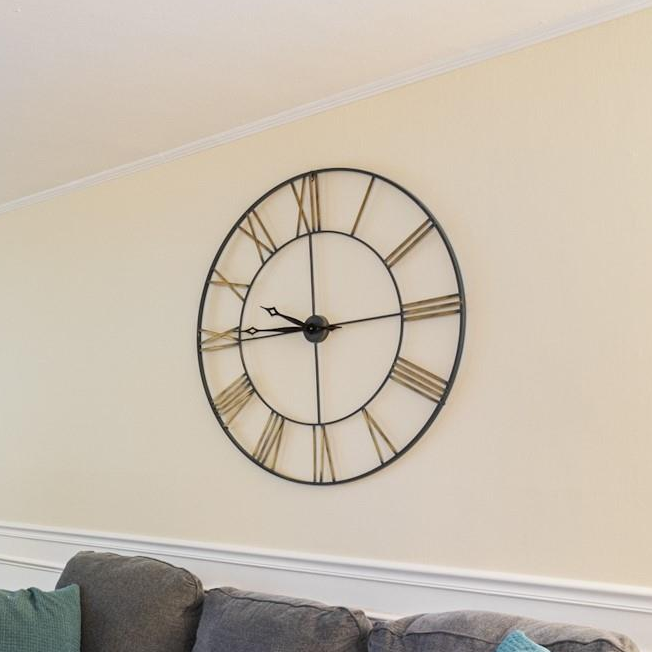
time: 9:45
